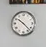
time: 10:22
